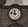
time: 11:46
